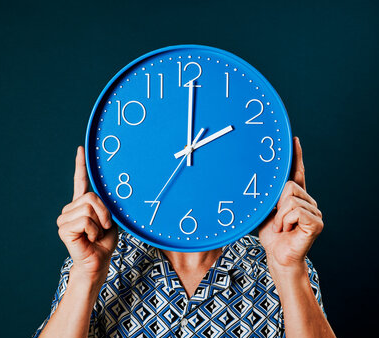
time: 2:00
